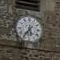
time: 5:36
